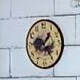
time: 1:24
